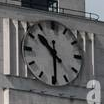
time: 10:29
